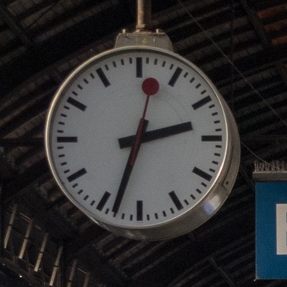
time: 2:33
